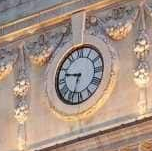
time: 9:33
